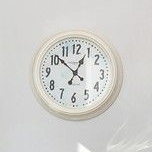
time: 12:51
